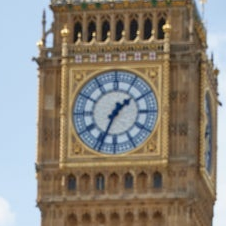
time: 1:34
